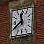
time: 11:39
